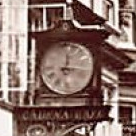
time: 12:16
